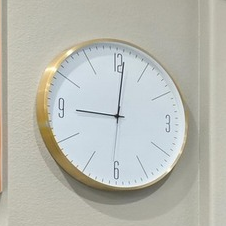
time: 9:01
